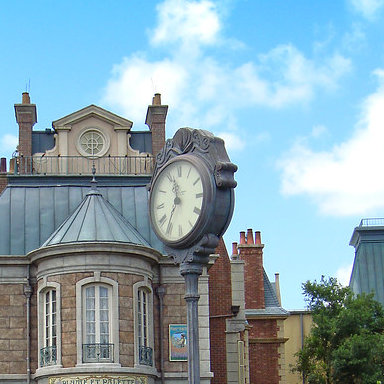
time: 11:35
